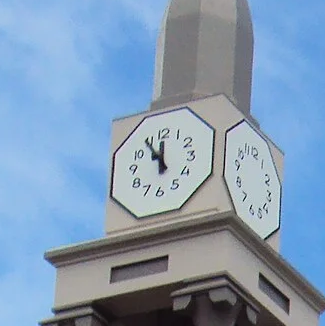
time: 11:54
